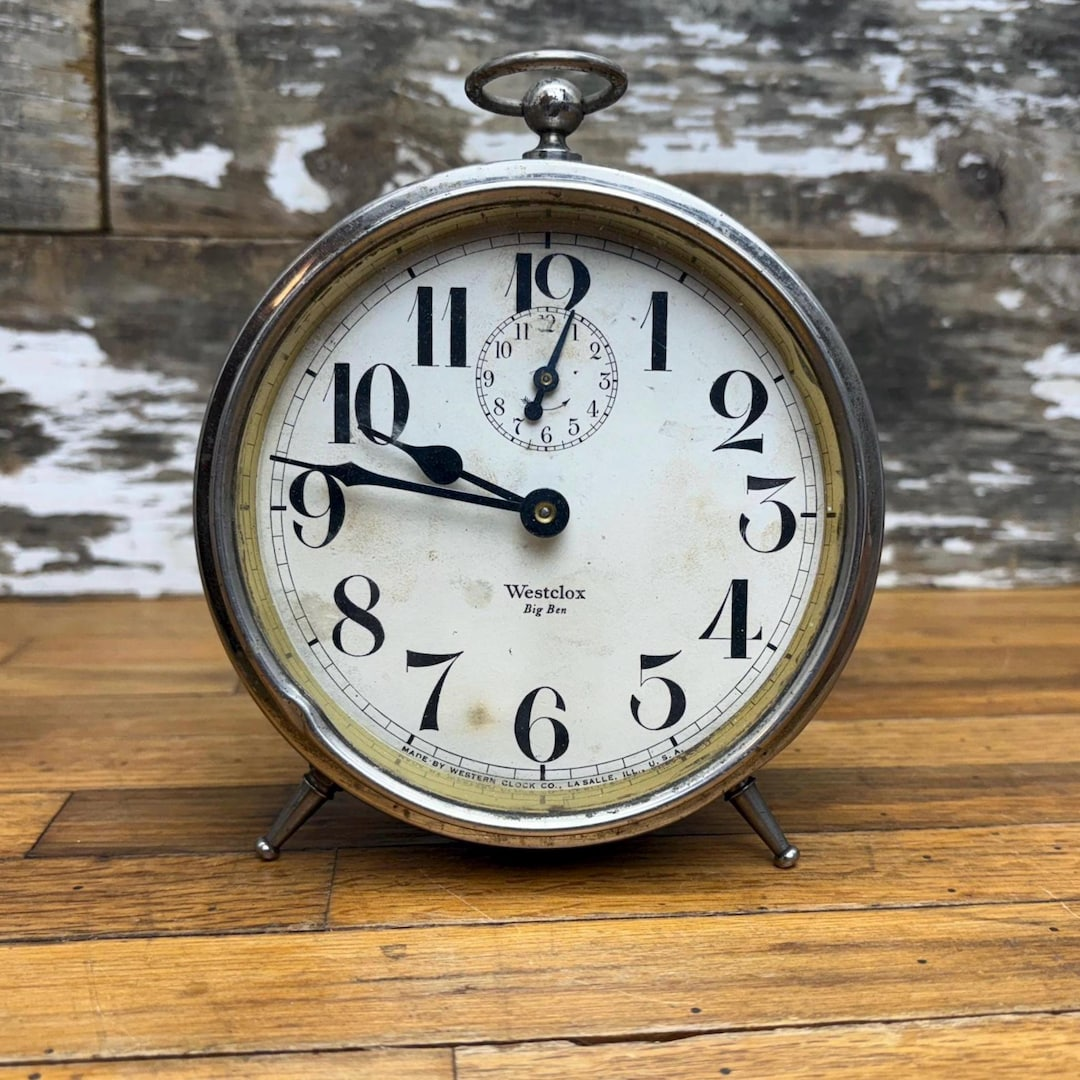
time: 9:46
